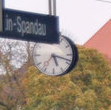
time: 5:18
